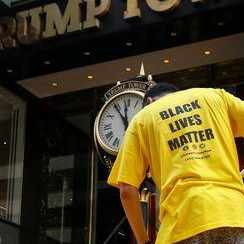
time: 11:54
